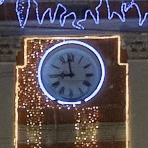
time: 8:58
